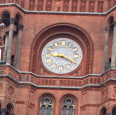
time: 8:19
